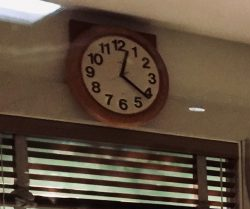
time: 12:21
